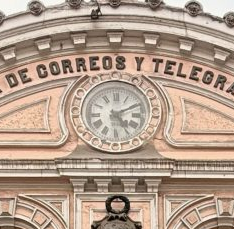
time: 5:10
